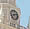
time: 8:12
